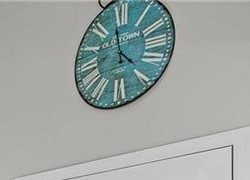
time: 3:58
